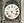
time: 4:33
